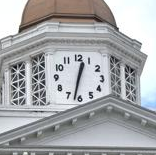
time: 12:32
